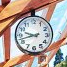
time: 9:42
